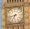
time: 6:42
